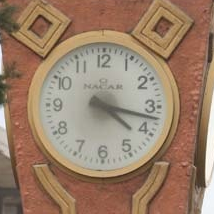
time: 4:17
